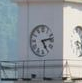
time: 5:13
